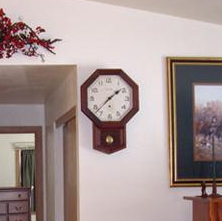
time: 1:37
